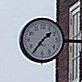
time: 1:36
